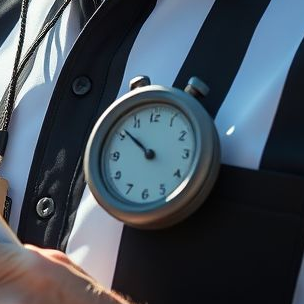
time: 9:51
